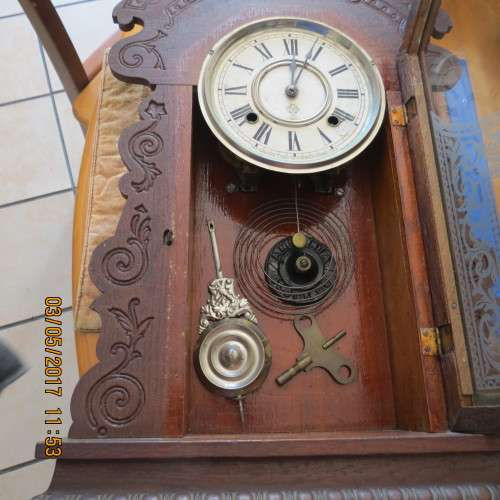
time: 12:03
